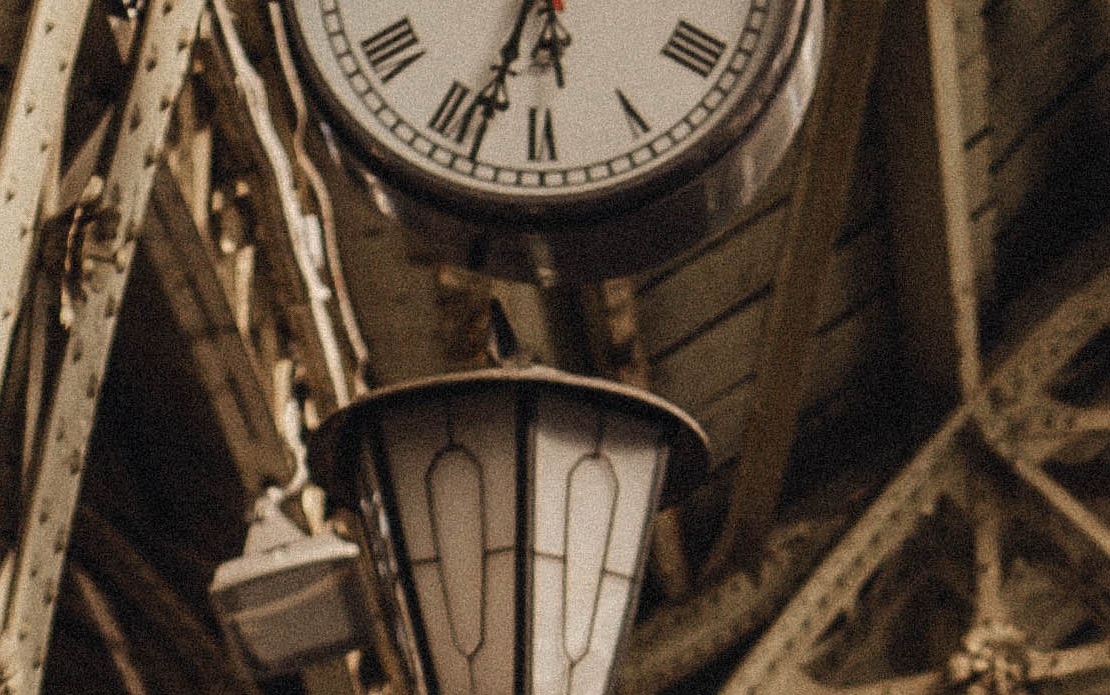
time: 5:33
